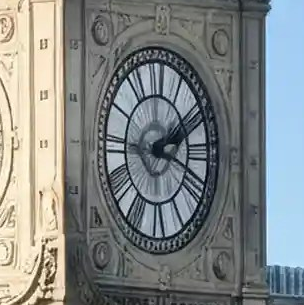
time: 2:18
